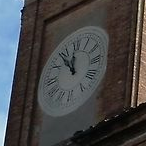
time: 11:53
